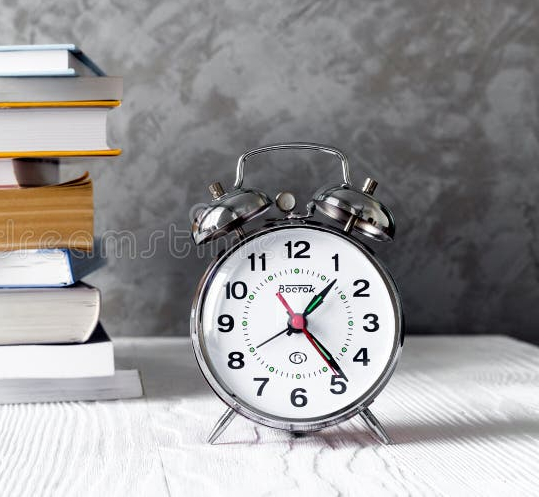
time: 1:23
